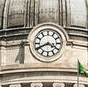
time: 3:40
